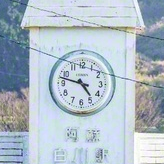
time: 4:47
